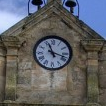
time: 11:17
